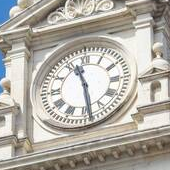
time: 11:28
